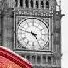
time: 4:47
